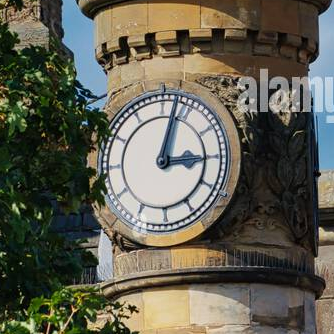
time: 3:02
